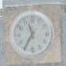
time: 11:35
